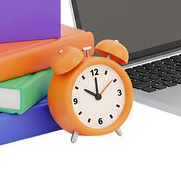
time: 10:00
